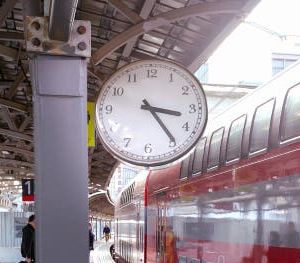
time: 3:24
